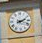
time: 2:18
